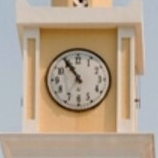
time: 10:54
